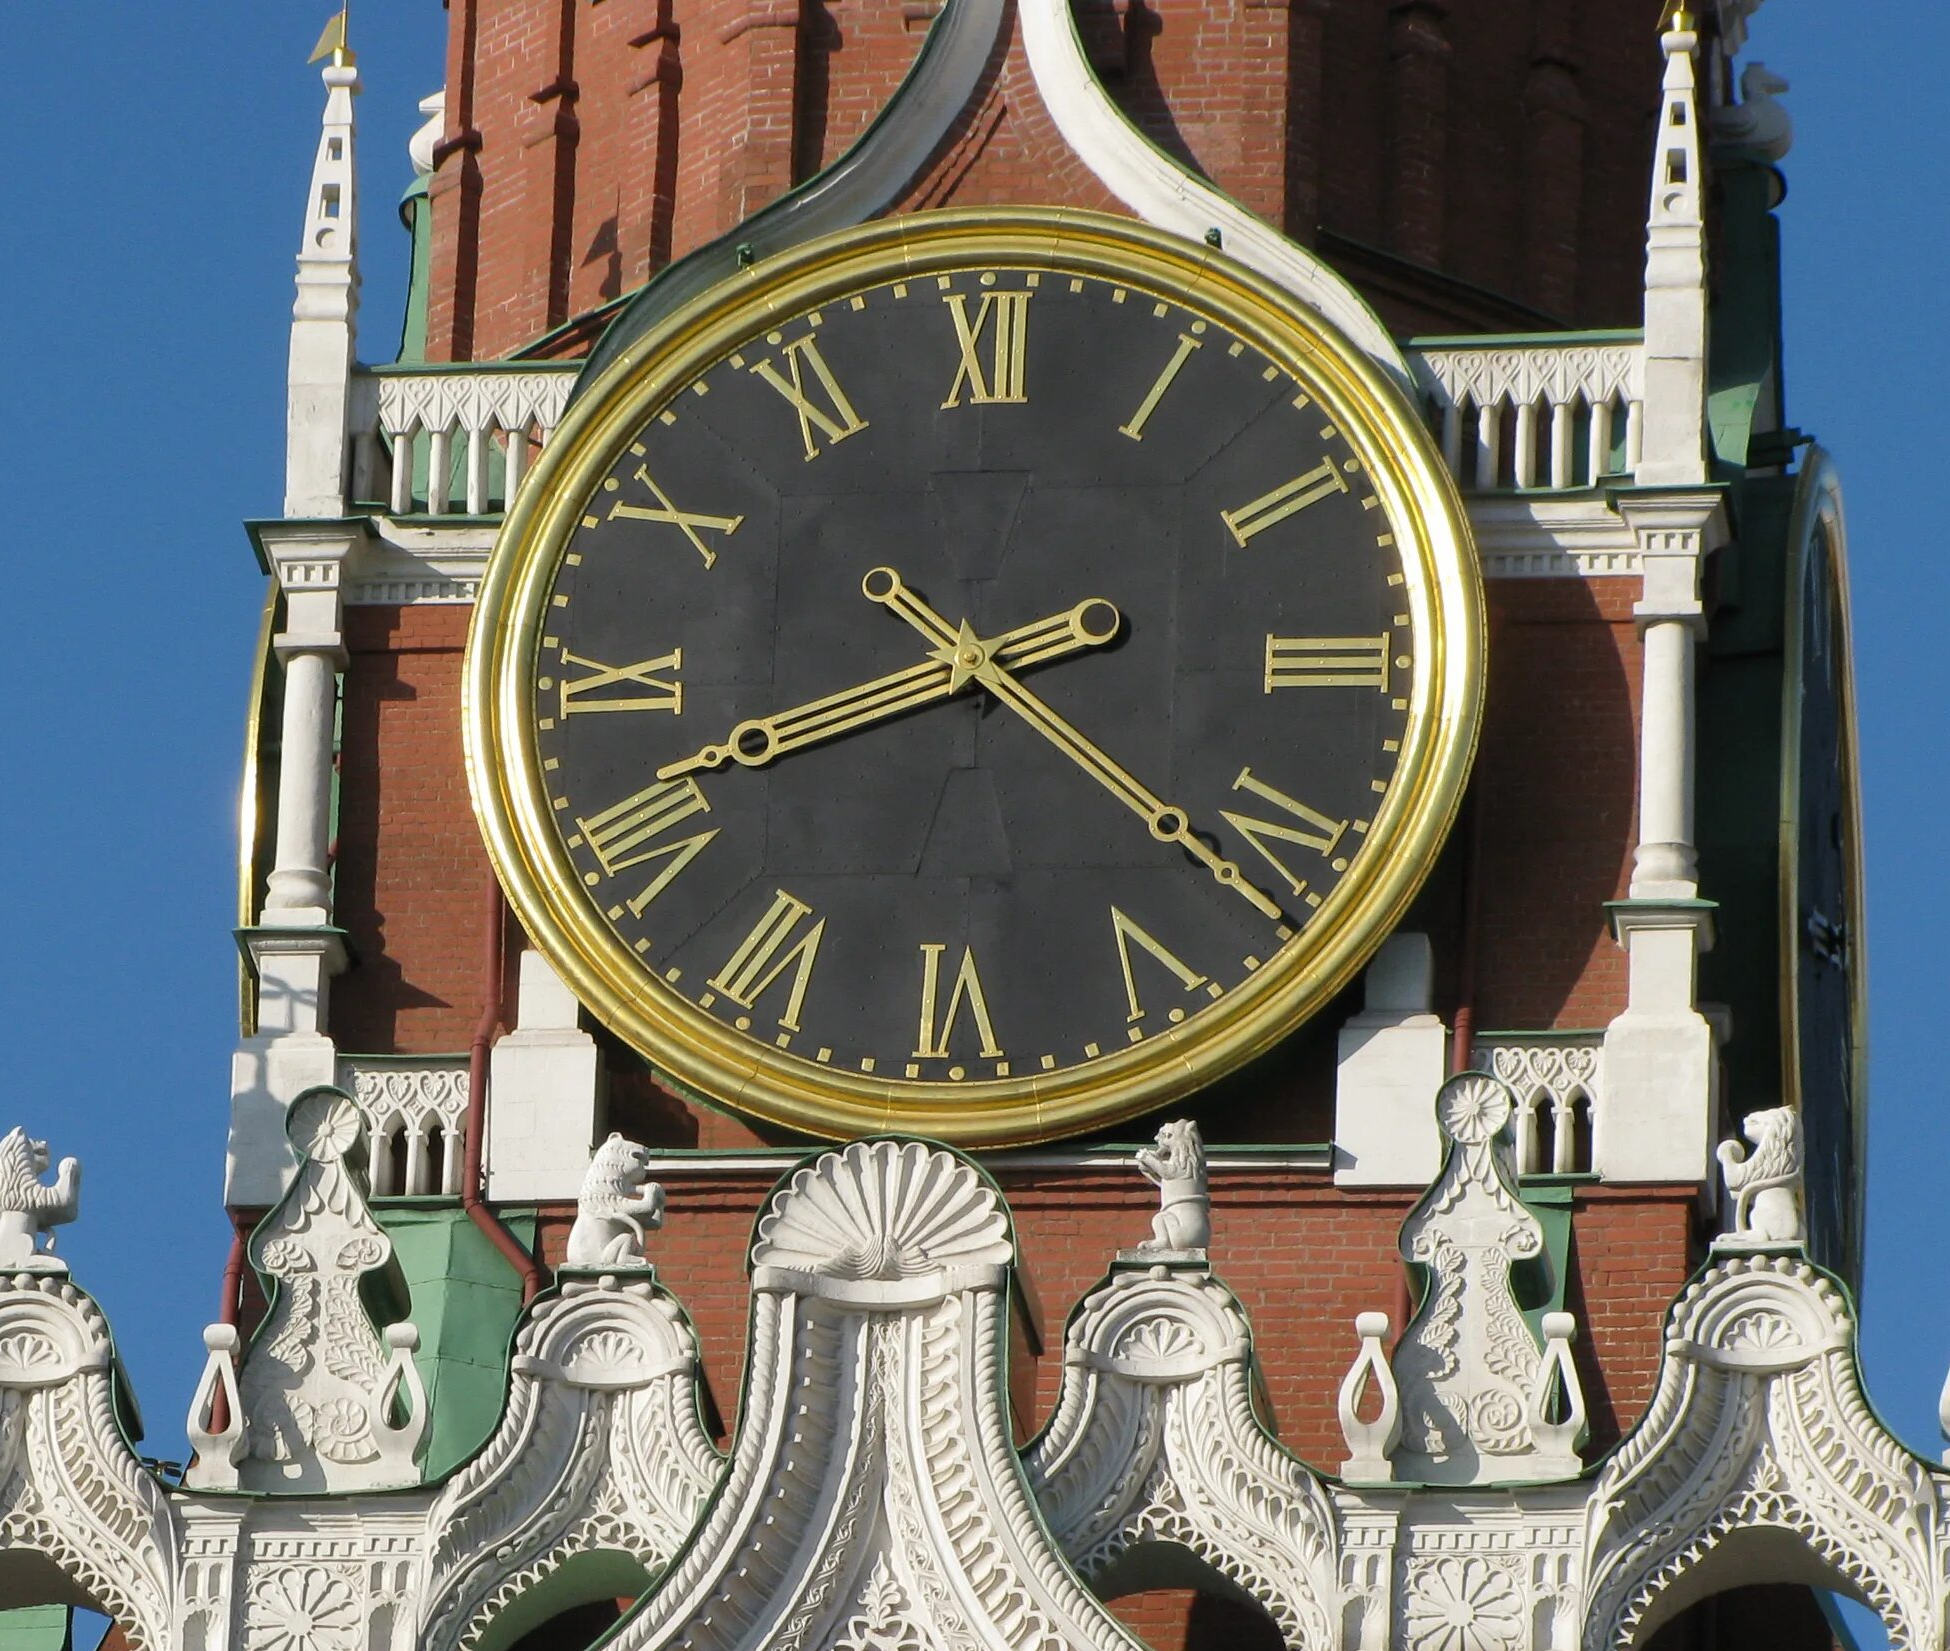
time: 8:21
